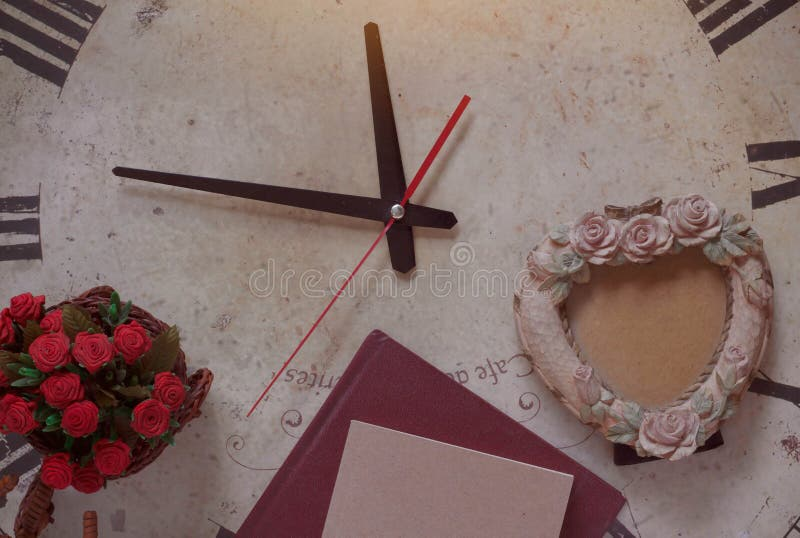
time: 11:46
